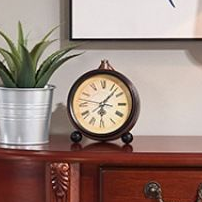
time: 6:07
